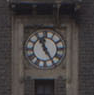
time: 11:24
